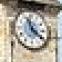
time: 11:21
